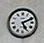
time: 5:11
